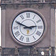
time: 2:49
